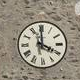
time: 3:59
